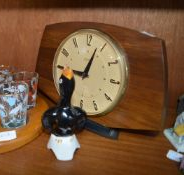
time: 9:03
